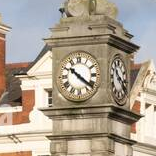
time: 10:21
